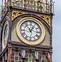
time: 12:53
